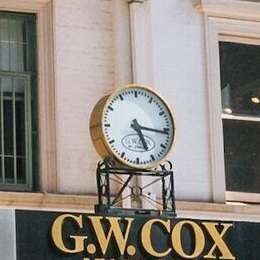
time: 5:15
